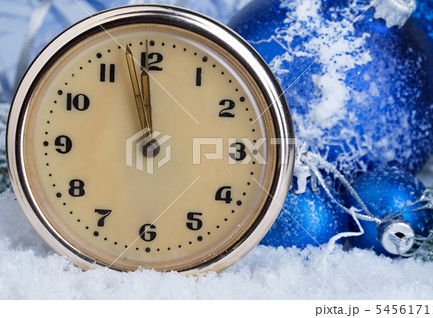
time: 11:58
